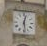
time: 12:28
